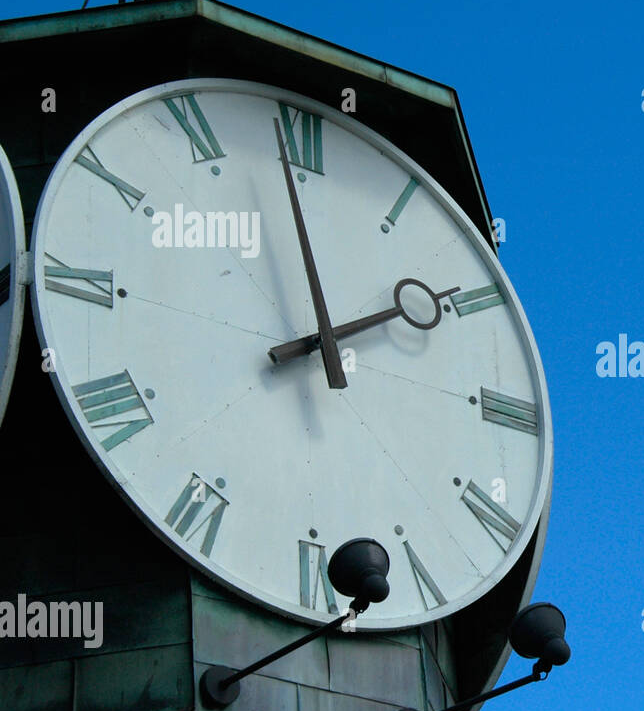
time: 1:58
